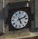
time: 5:11
